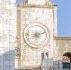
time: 6:11
